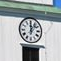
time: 12:07
